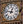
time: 12:47
